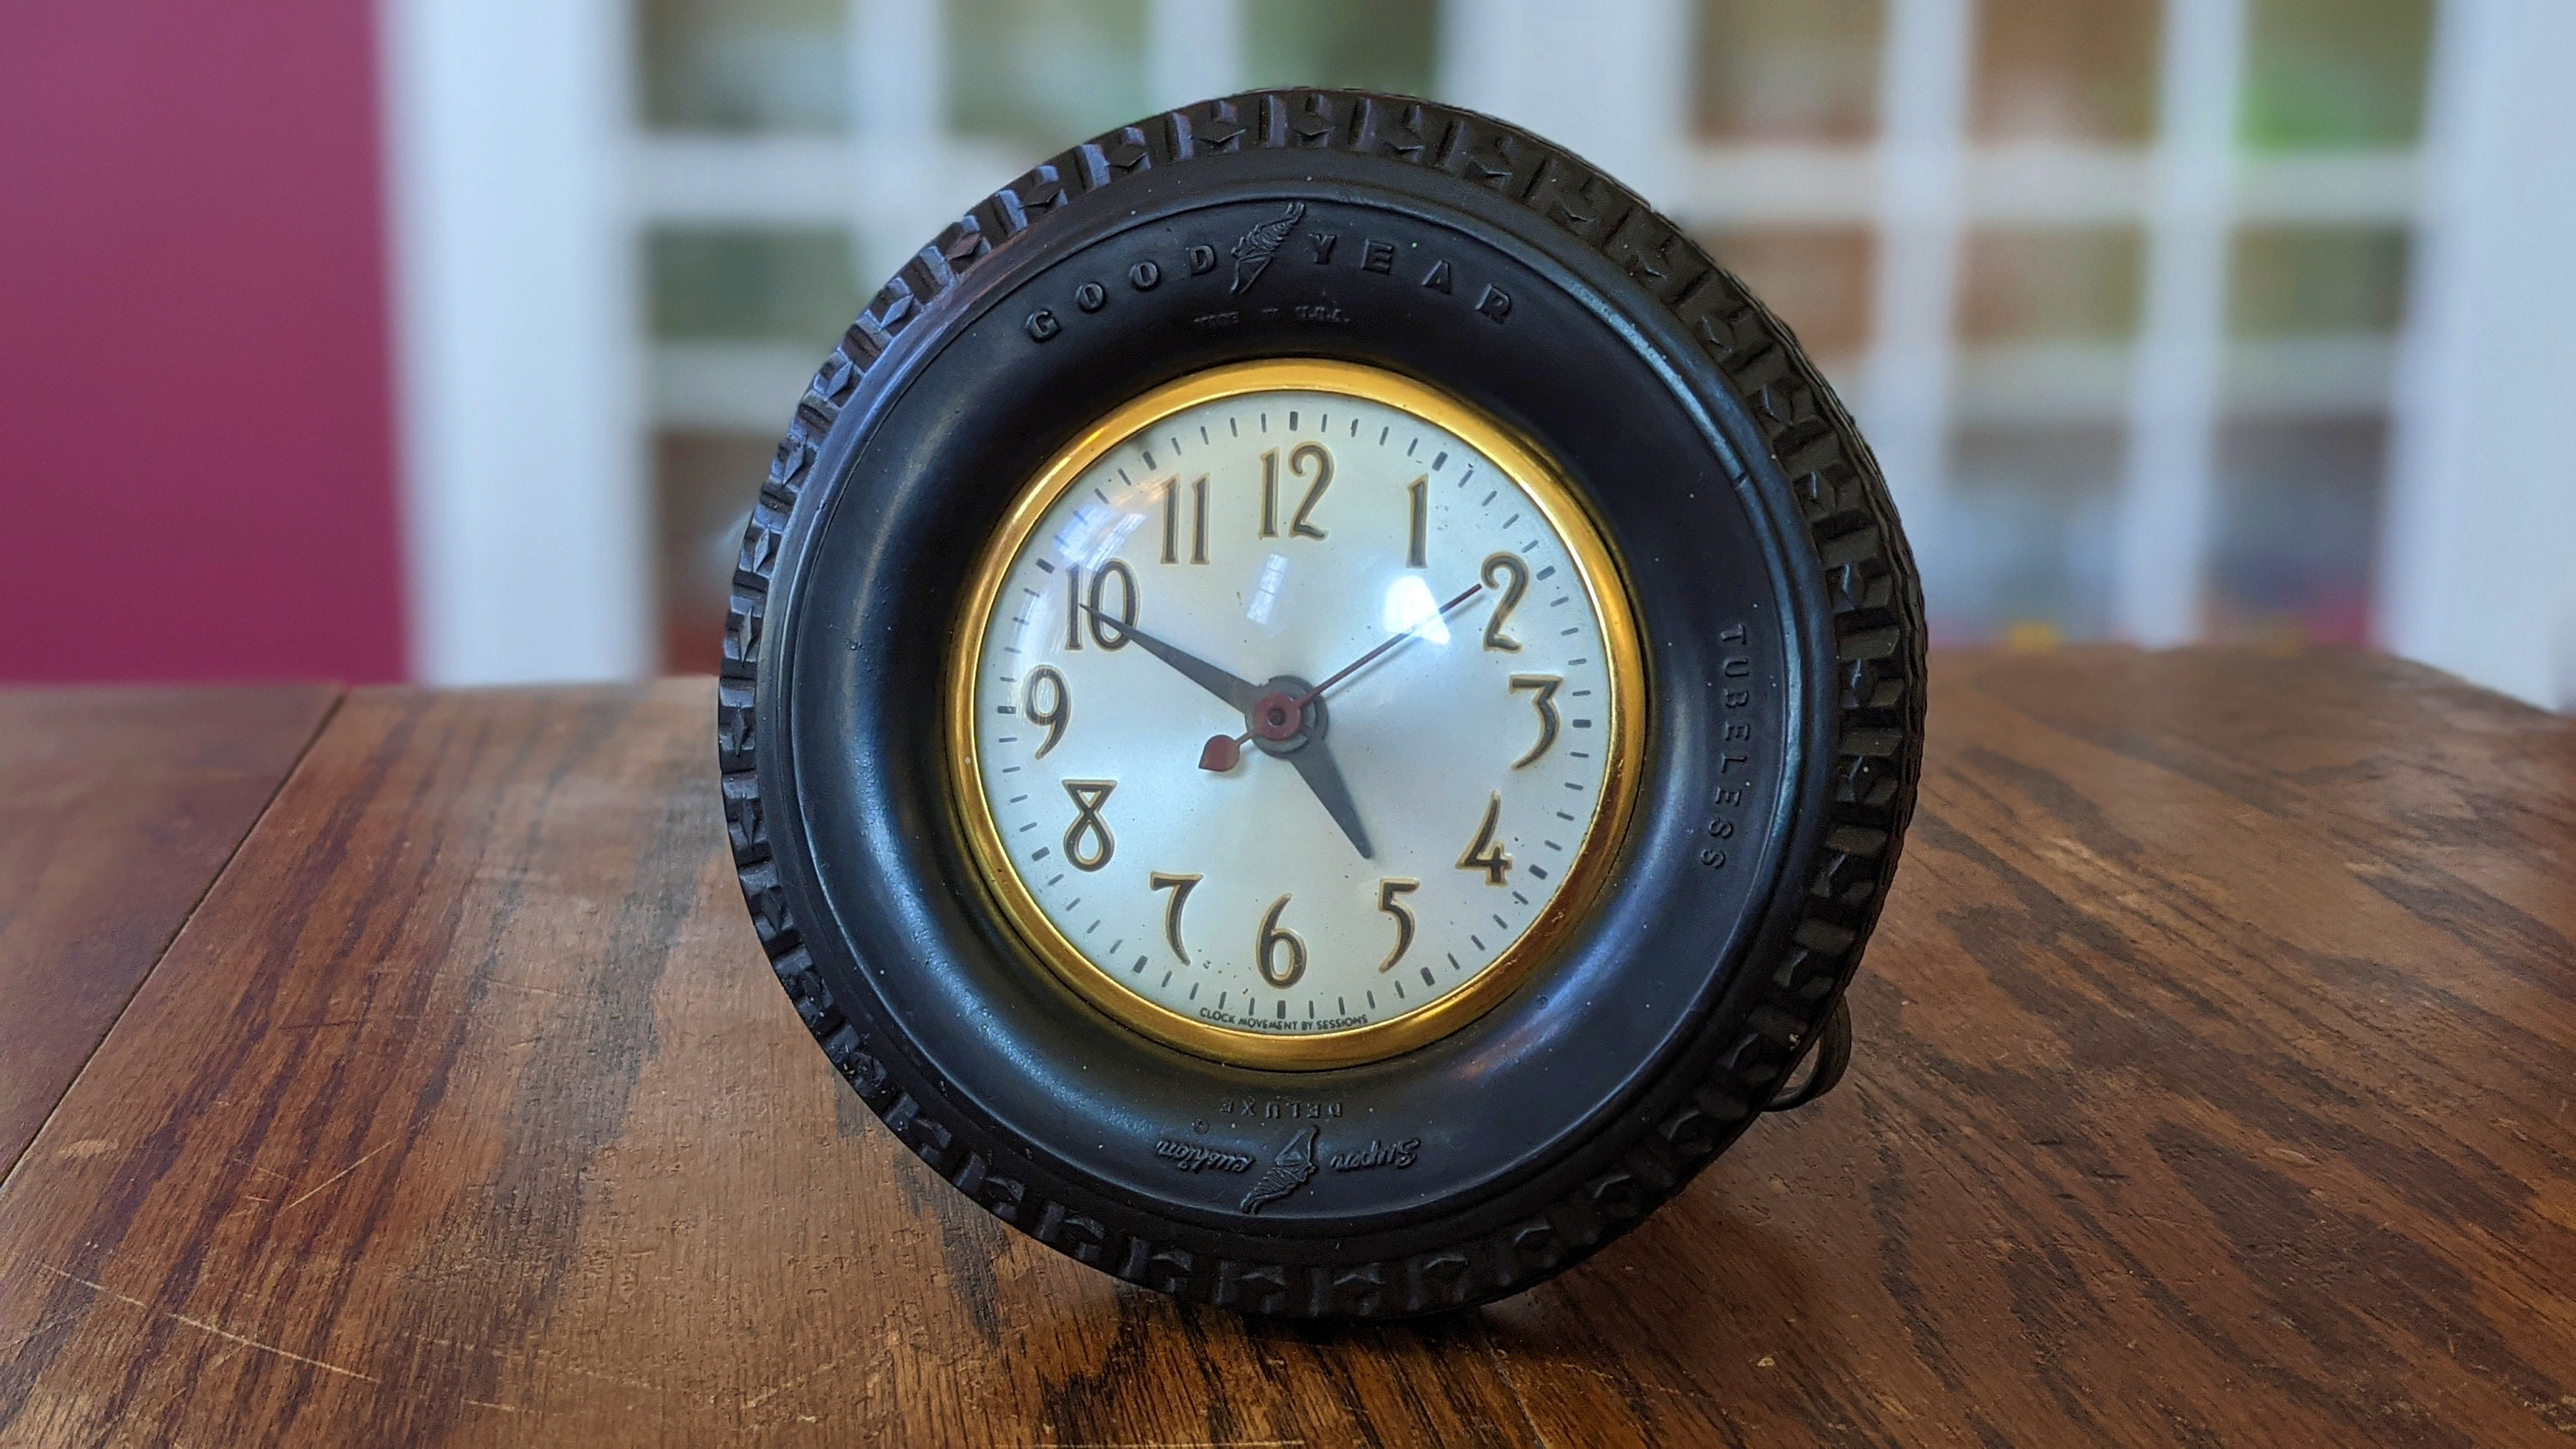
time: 4:49
